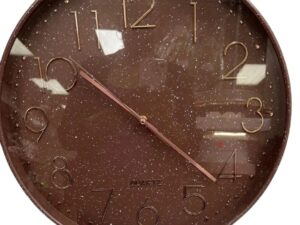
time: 10:21
